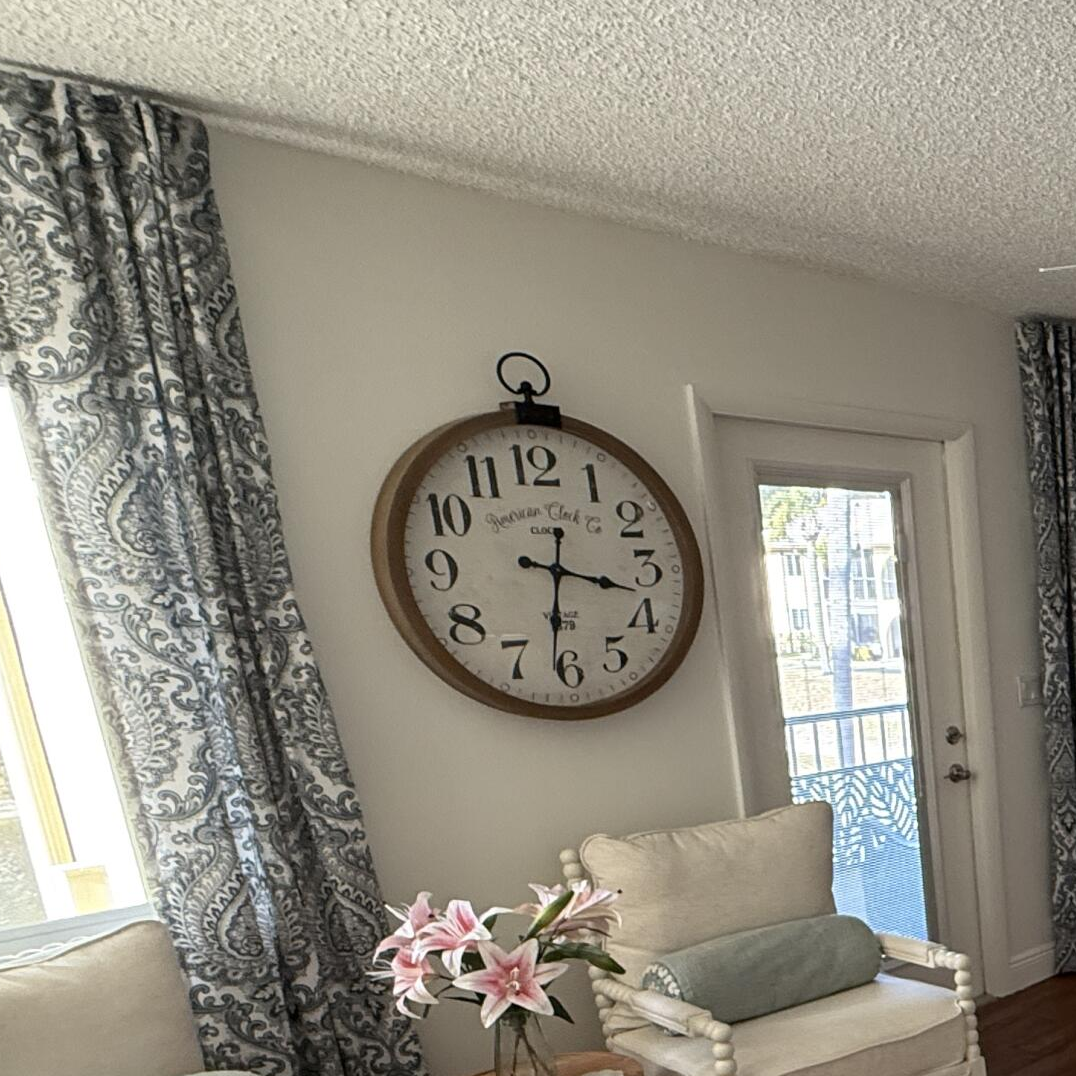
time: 3:31
